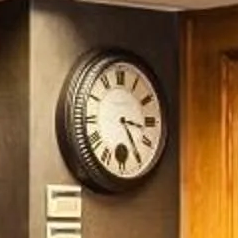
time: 3:24
